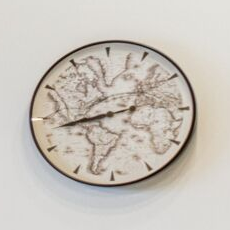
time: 8:43
